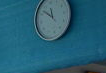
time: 11:52
